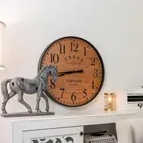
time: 8:43
